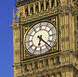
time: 6:23
